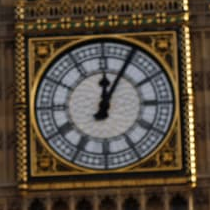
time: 12:04
